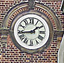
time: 1:43
